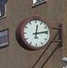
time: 12:13
